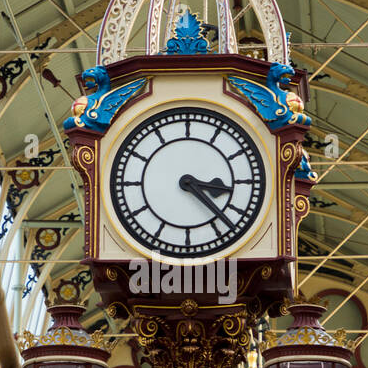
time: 3:22
